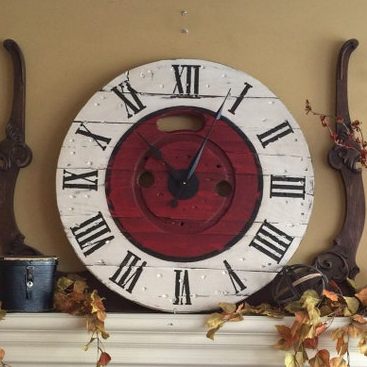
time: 12:53
